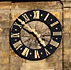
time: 4:49
